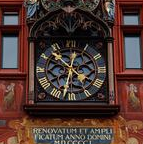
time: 10:32
